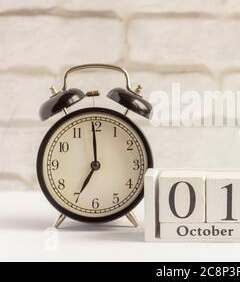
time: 6:59
